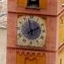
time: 1:58
